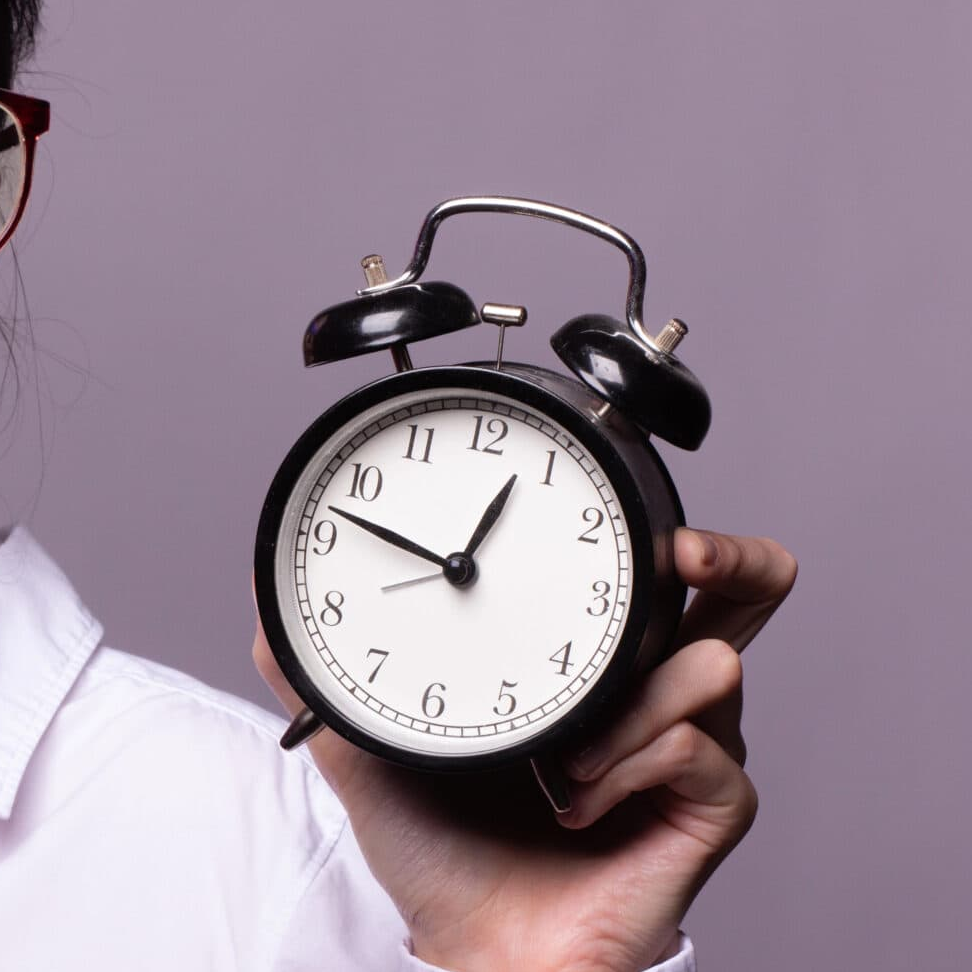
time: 12:47
